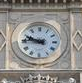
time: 9:45
